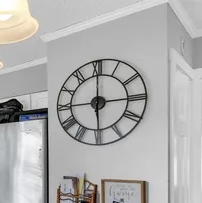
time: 6:00
